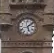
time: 5:08
